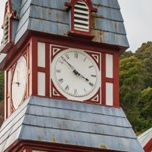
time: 3:52
